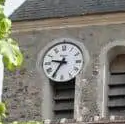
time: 9:35
